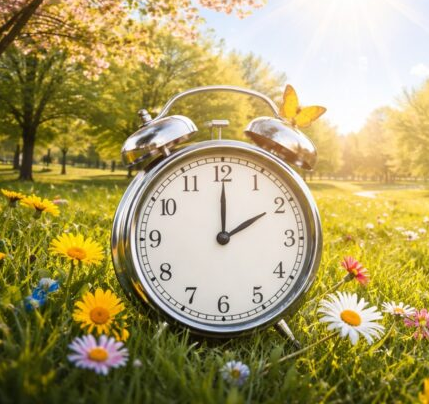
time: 2:00
